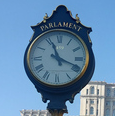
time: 11:18
